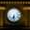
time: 6:28
